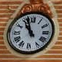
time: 10:56
